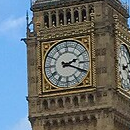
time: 2:19
